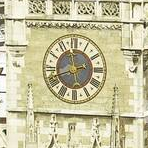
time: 11:42
